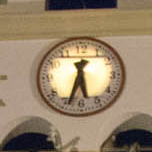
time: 5:33
